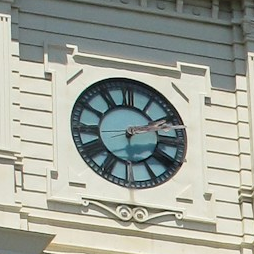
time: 6:10
